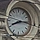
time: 8:14
